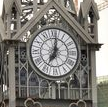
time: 7:01
